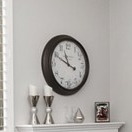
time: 3:49
